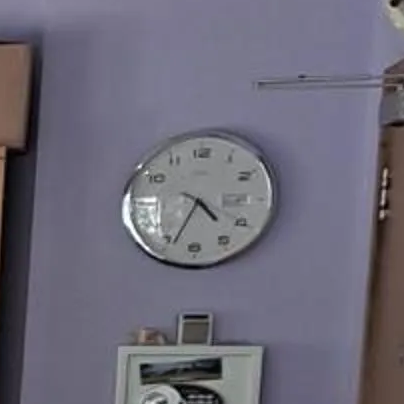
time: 4:34
